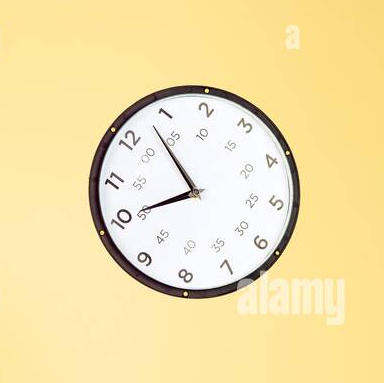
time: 7:53
